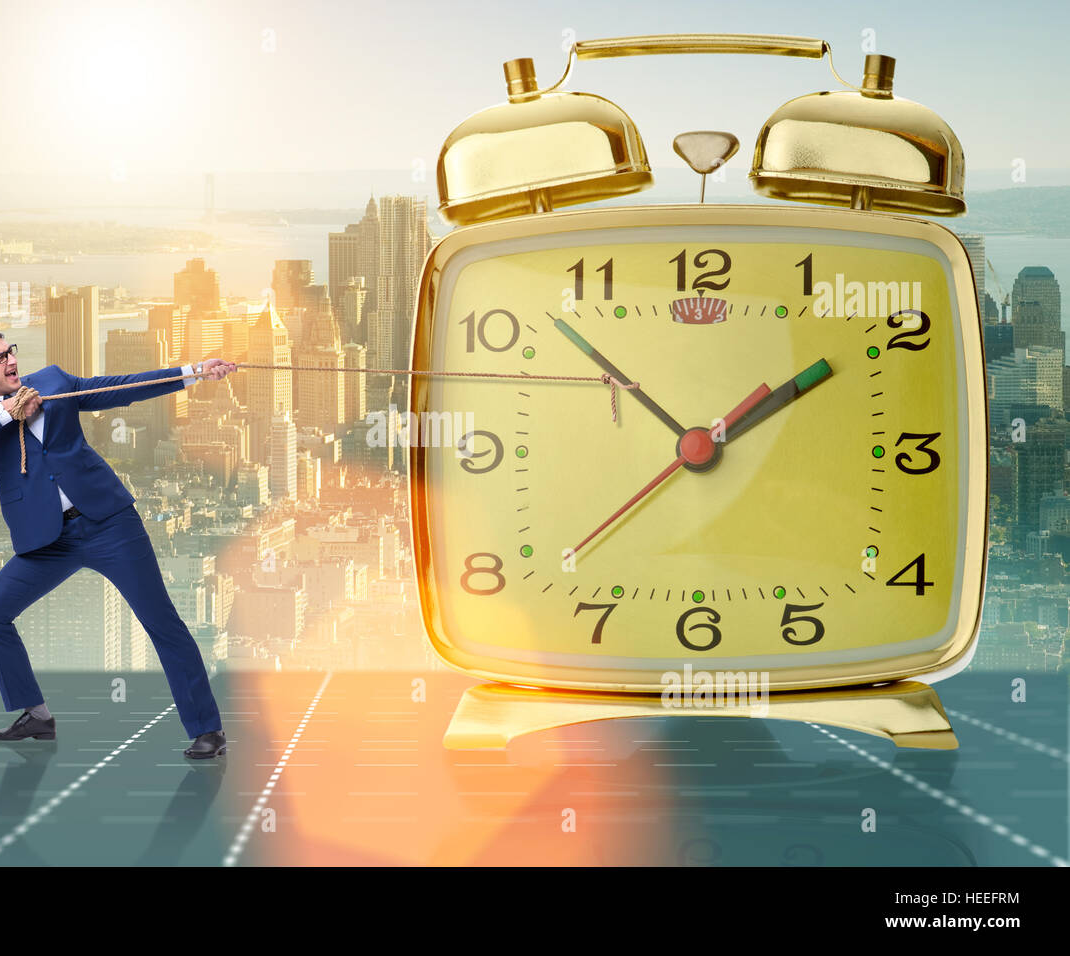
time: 1:52
